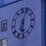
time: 6:03
